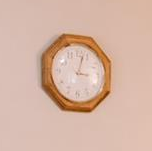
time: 3:02
